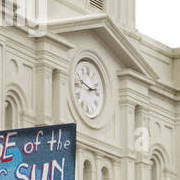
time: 2:48
